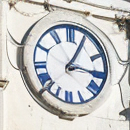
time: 3:04
